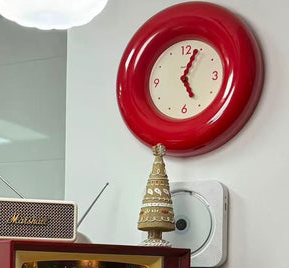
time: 5:03
